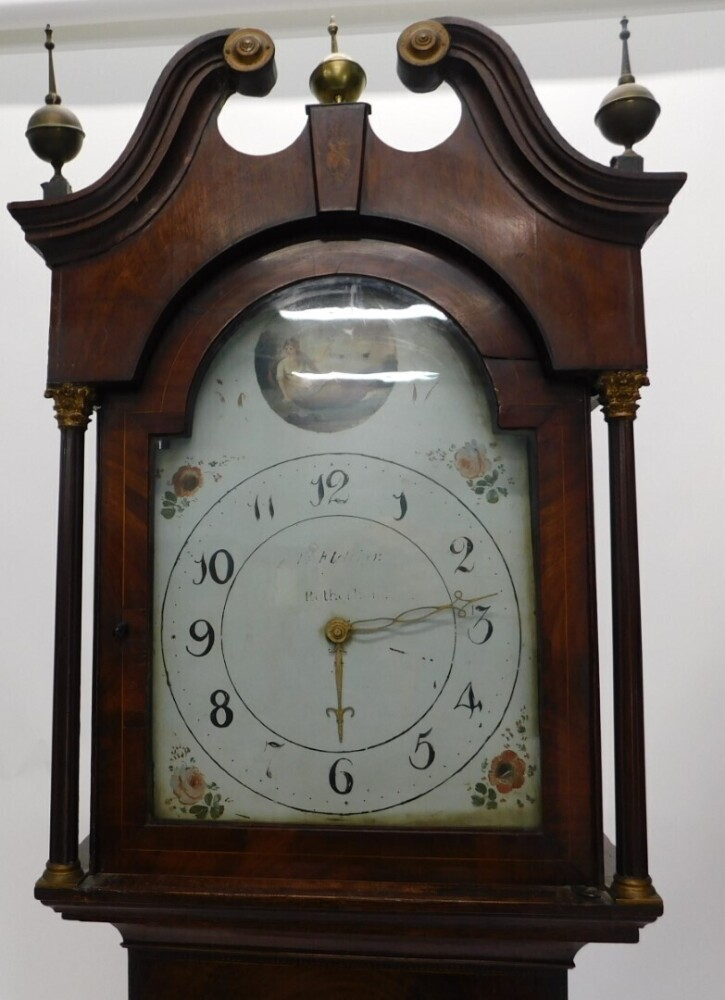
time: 6:14
